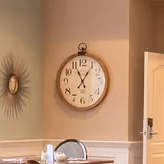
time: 11:05
